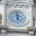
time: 11:59
